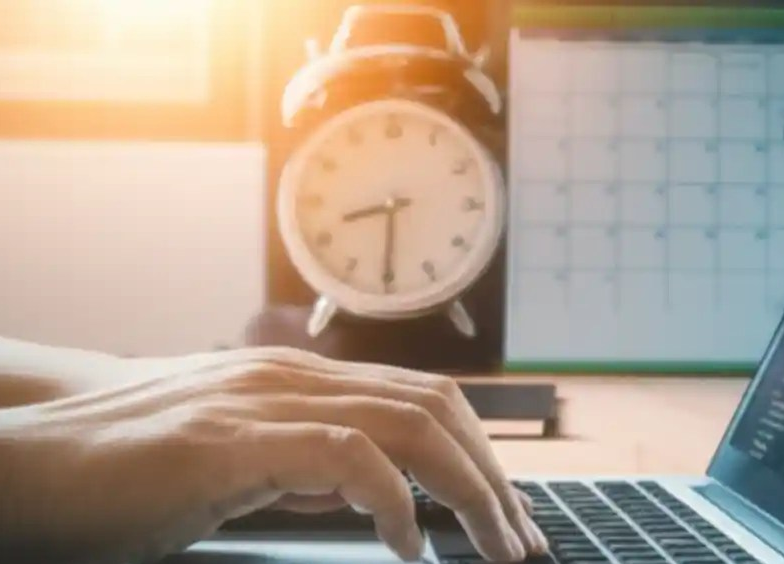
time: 8:30
